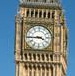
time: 3:44
